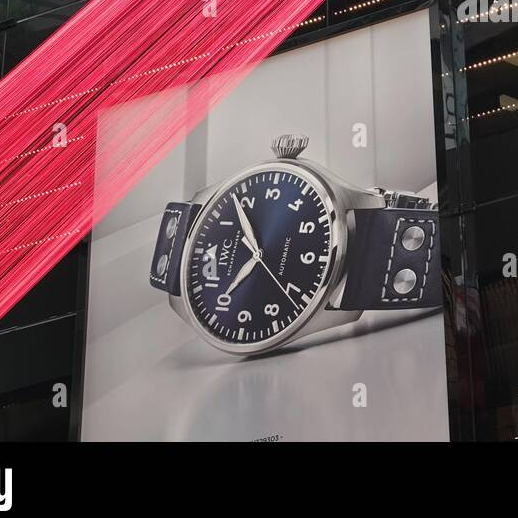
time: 6:53
